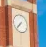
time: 7:37
